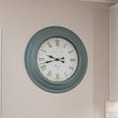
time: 9:42
